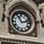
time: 11:12
